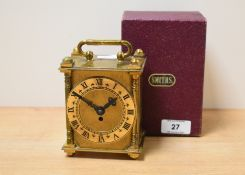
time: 1:50
